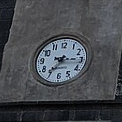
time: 7:15
